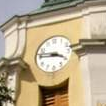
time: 3:46
